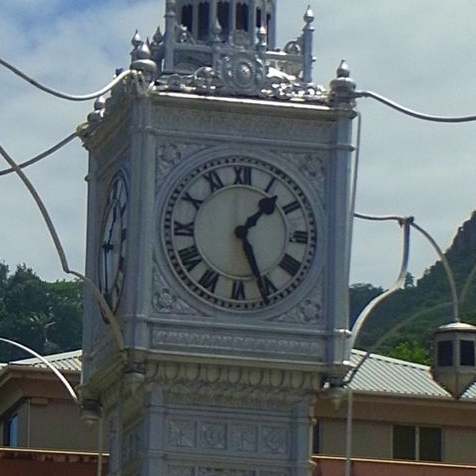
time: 1:26
